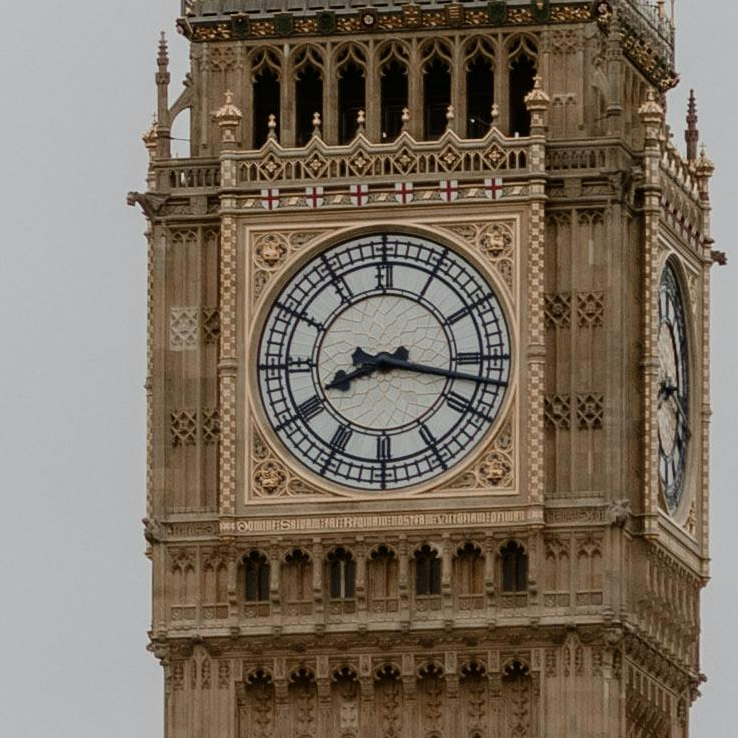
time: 8:16
